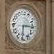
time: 6:15
